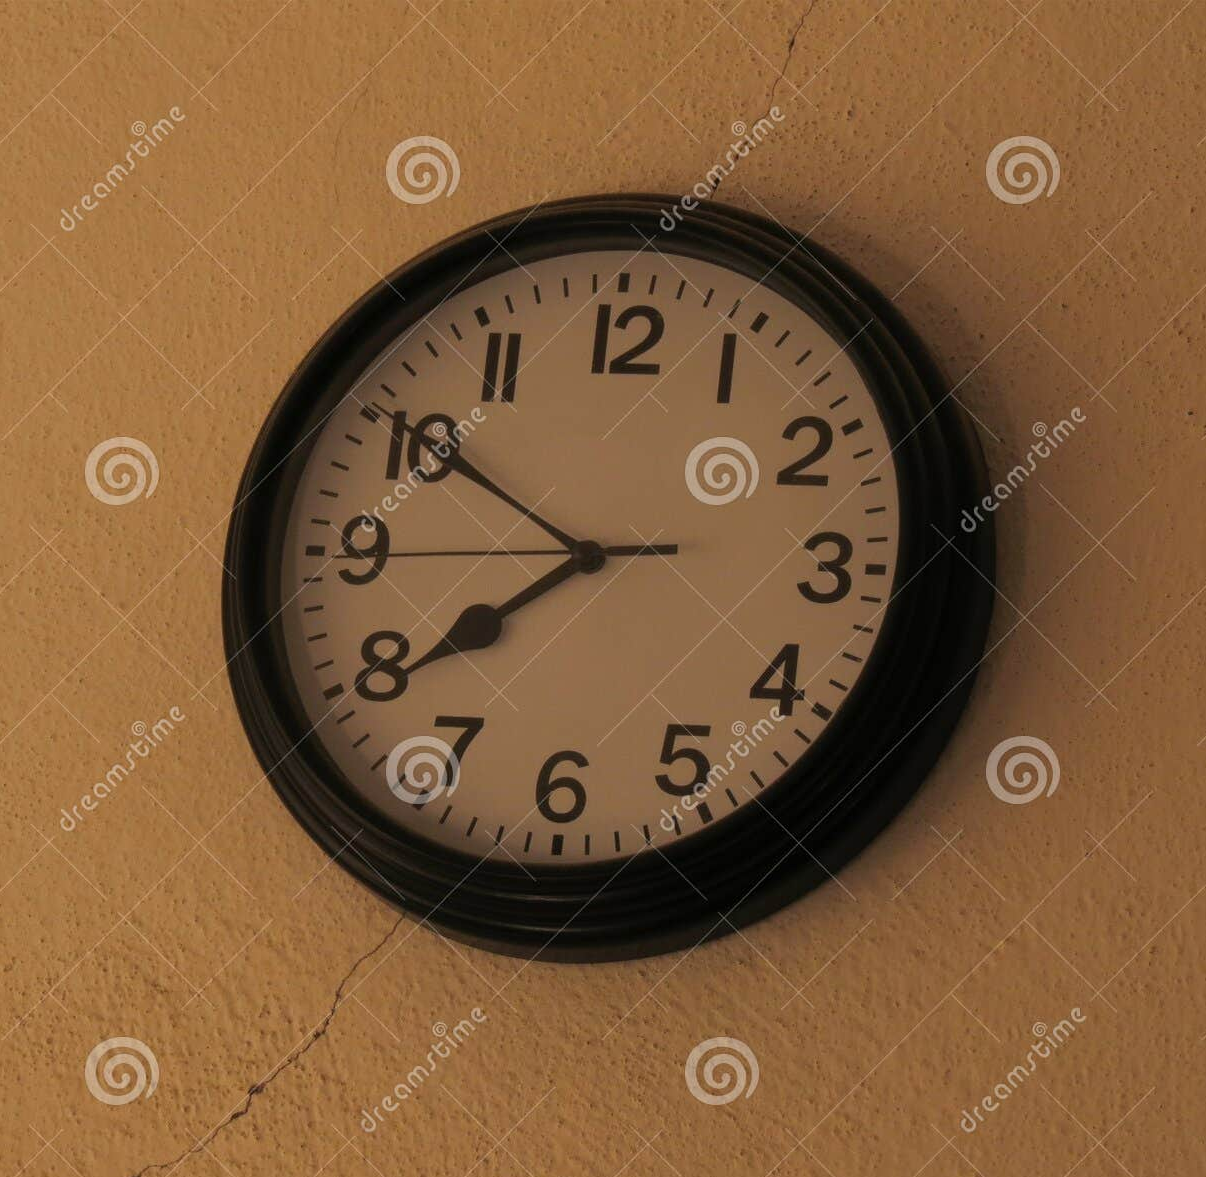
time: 7:50
